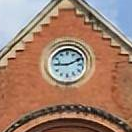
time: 9:10
